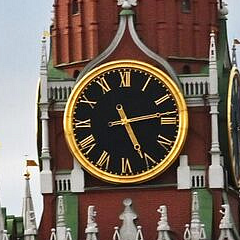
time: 5:13
